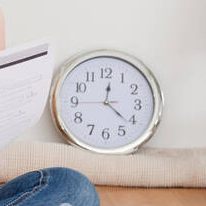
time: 12:21
